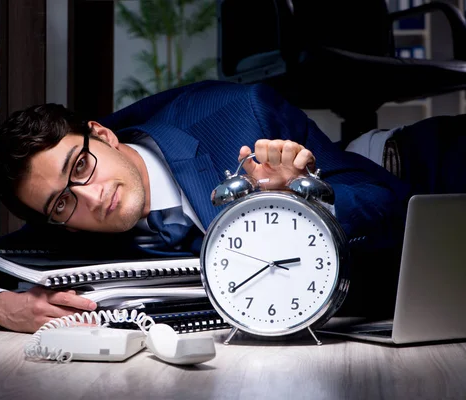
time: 2:39
